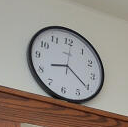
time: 8:20
